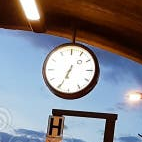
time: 6:34
